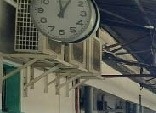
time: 12:05
